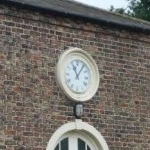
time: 11:06
